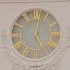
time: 5:01
